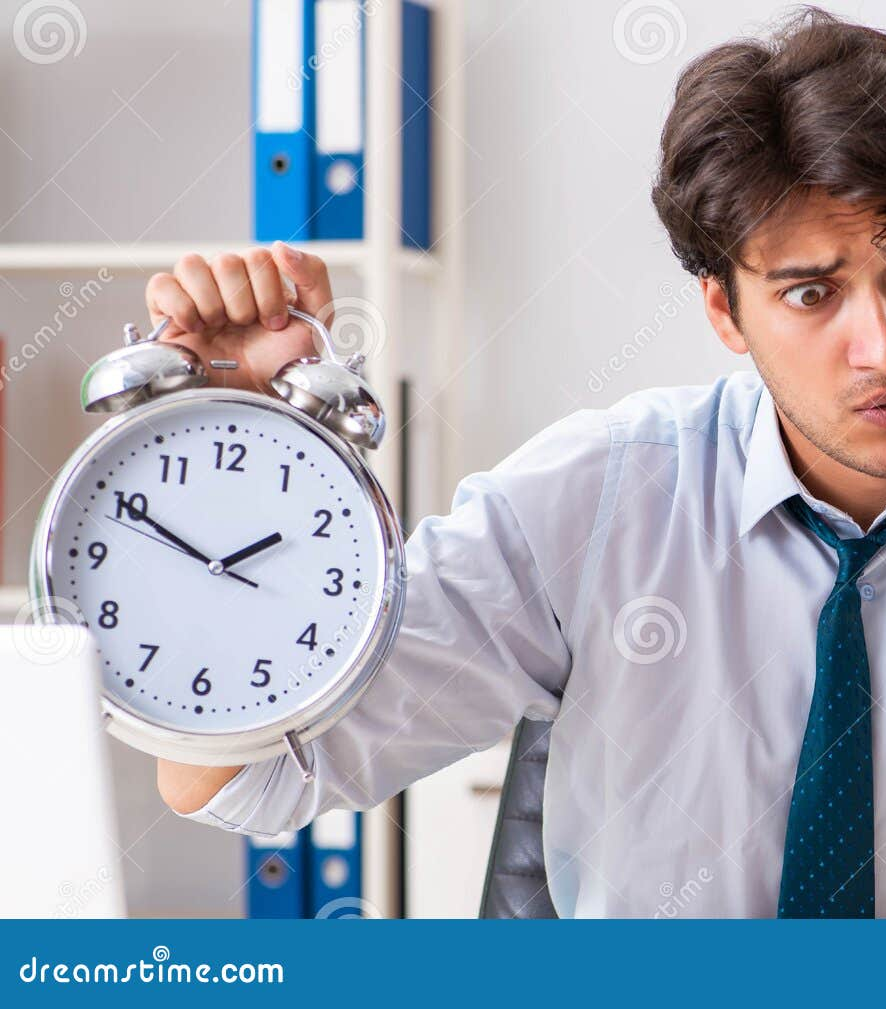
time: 1:50
